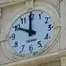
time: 9:59
